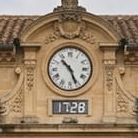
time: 10:26
